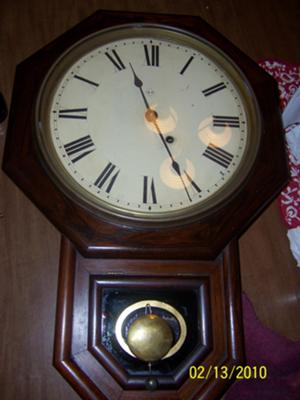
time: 11:25
